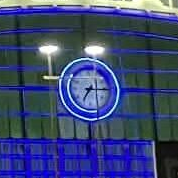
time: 7:15
